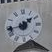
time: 1:43
